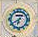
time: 6:39
